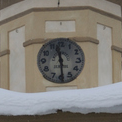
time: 11:29
